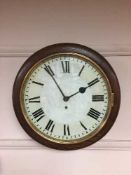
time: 1:54
